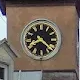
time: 8:21
